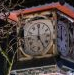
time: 5:00
